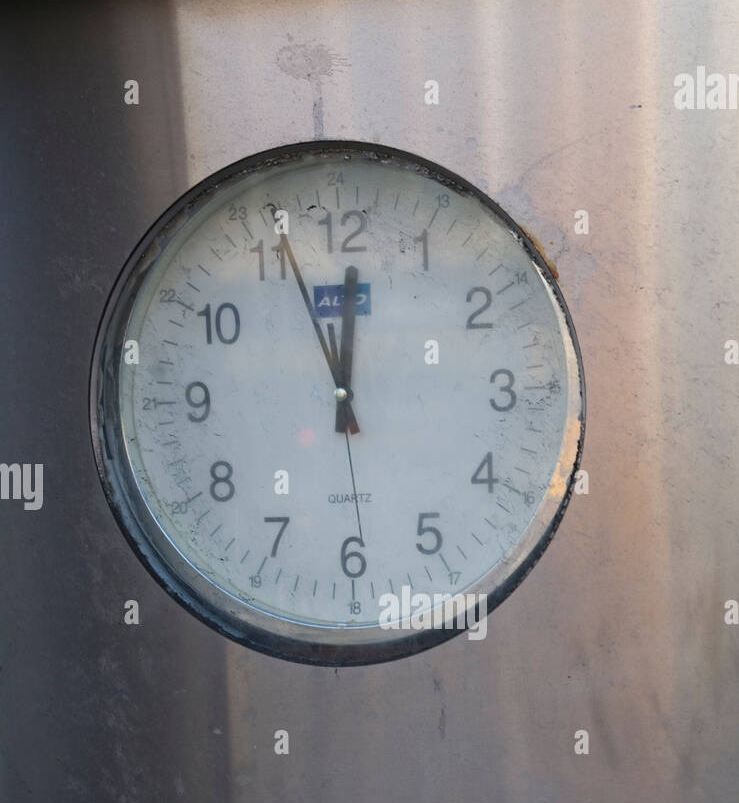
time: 11:56
